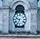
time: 9:34
